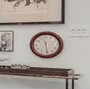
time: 11:29
